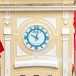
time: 10:01
